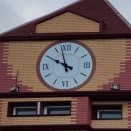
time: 9:57
